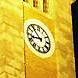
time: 10:42
